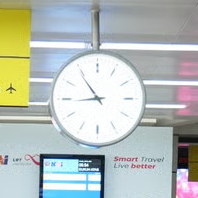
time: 8:54
